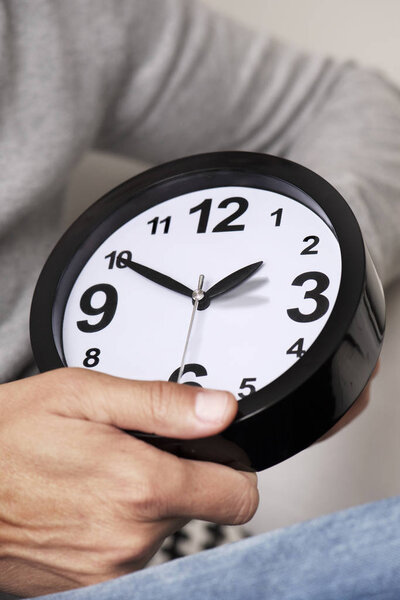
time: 1:50
